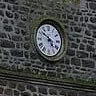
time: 4:51
